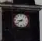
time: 8:38
